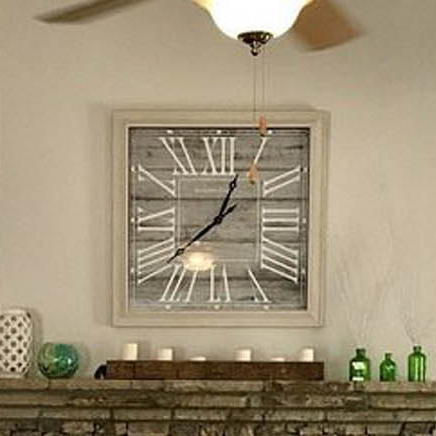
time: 12:38
